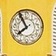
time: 7:55
